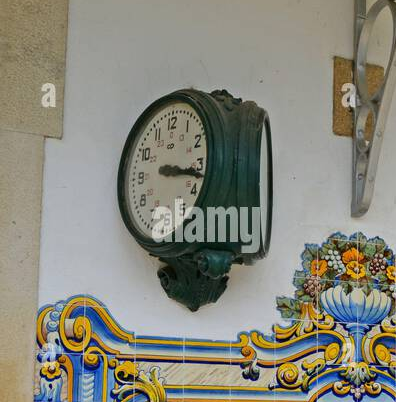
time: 3:16
